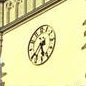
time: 5:38
